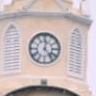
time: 12:23
